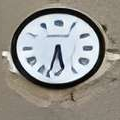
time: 5:32
